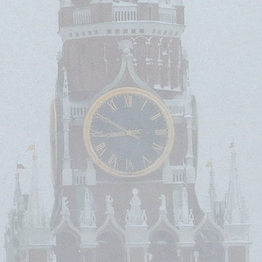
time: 8:50
